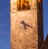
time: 5:18
